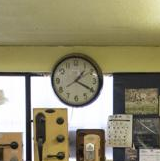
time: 1:19
